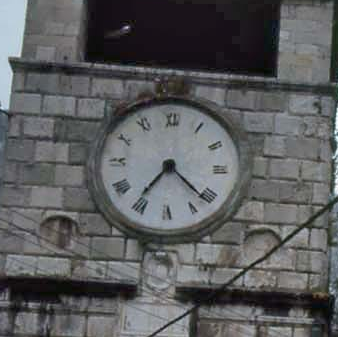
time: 7:21
